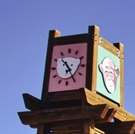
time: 10:24
